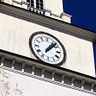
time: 1:07
